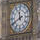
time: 11:40
